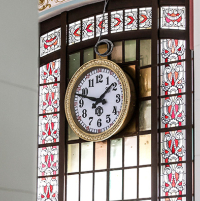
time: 1:47
